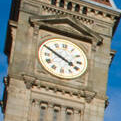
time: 3:49
